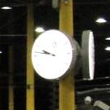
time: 9:46
